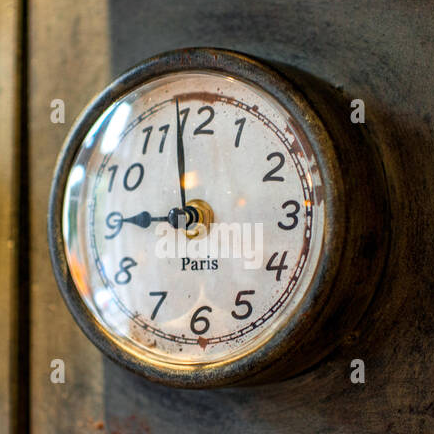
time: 8:58
